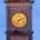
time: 7:11
